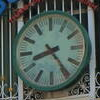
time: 8:24
